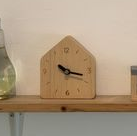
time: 10:17
